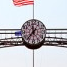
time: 11:36
